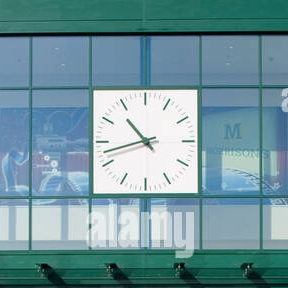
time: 10:42
